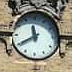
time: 11:40
